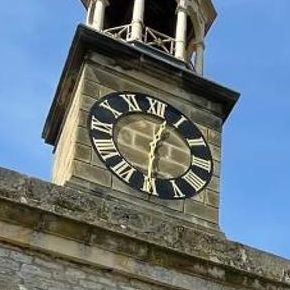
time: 12:30
